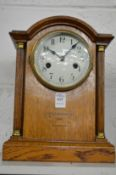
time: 10:07
